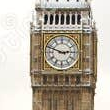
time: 2:48
